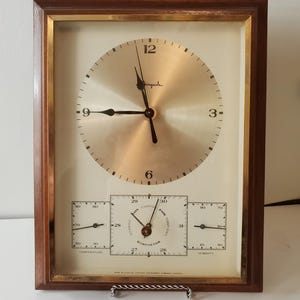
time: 11:45
